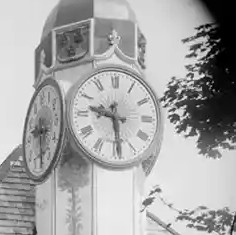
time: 9:28
